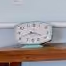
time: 3:40
